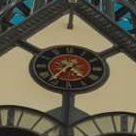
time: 4:36
